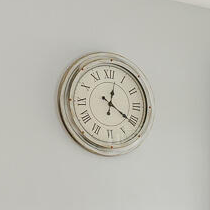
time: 12:20
